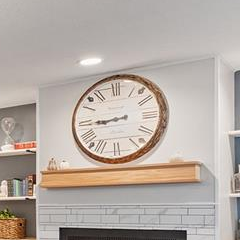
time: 8:44
